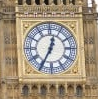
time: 12:34
